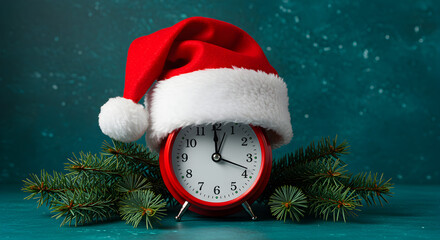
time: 12:18
